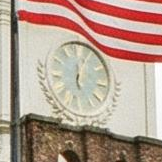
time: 12:03
